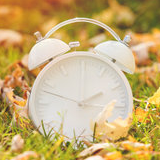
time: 2:00
